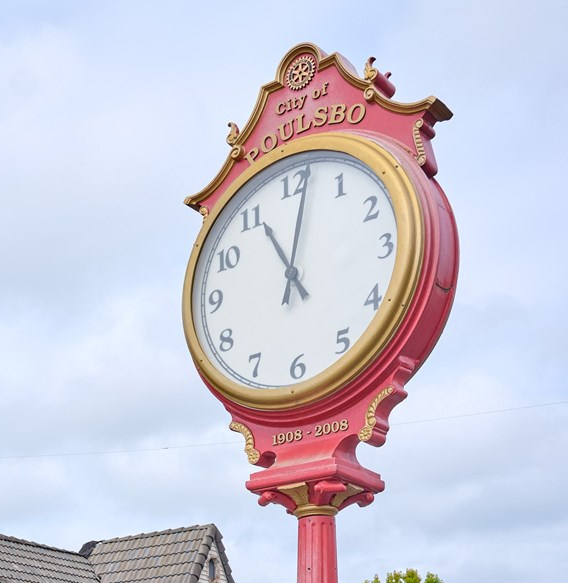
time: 11:01
